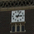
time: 3:04
